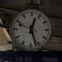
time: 12:26
